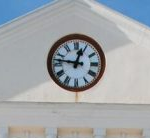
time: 12:46
